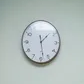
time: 1:28
